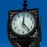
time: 12:23
